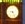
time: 9:25
